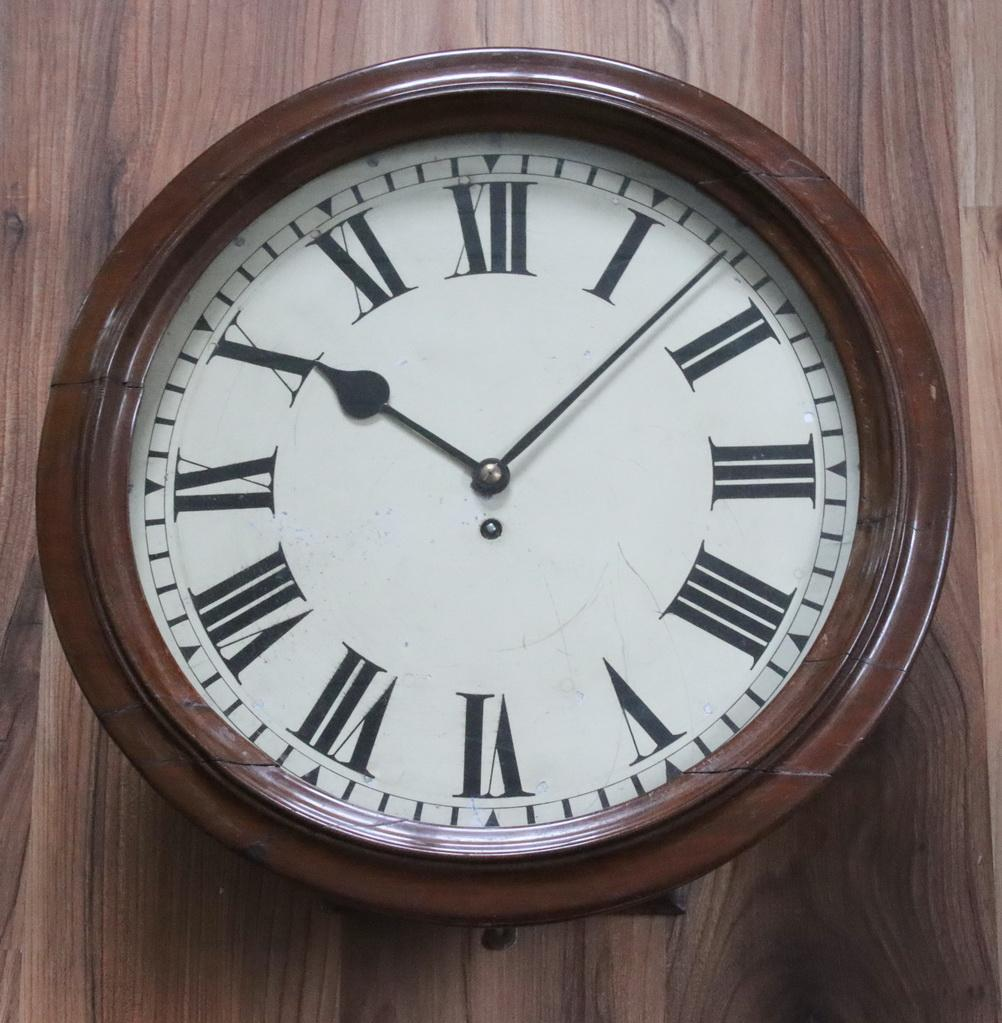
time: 10:07
